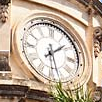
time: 1:28
